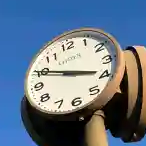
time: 3:49
